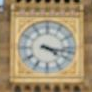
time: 4:16
